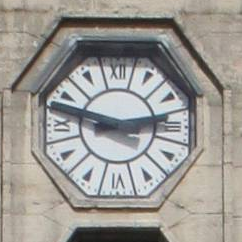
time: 2:47
